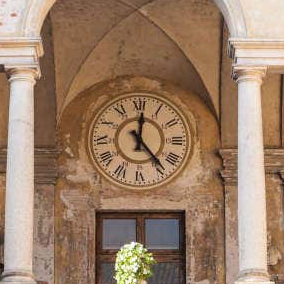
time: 12:23
